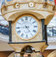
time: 4:44
